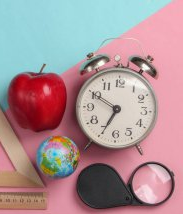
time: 6:50
